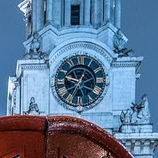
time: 9:34
